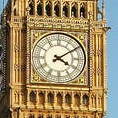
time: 4:09
